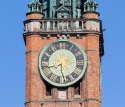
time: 8:27
